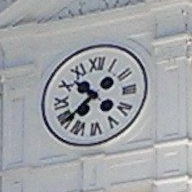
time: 10:38
